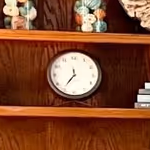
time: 11:36
